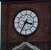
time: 3:34
